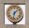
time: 1:32
